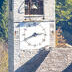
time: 2:40
